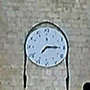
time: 7:15
